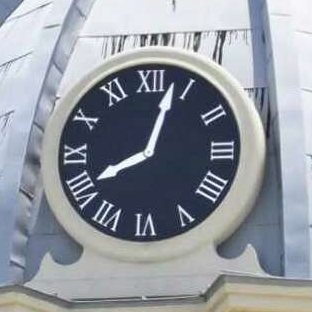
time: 8:03
